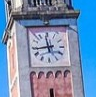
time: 11:43
